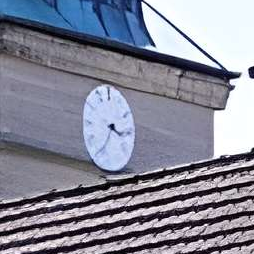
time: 3:34
